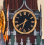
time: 7:32
